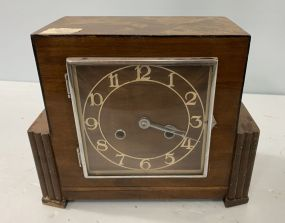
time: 3:18
